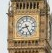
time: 8:25
